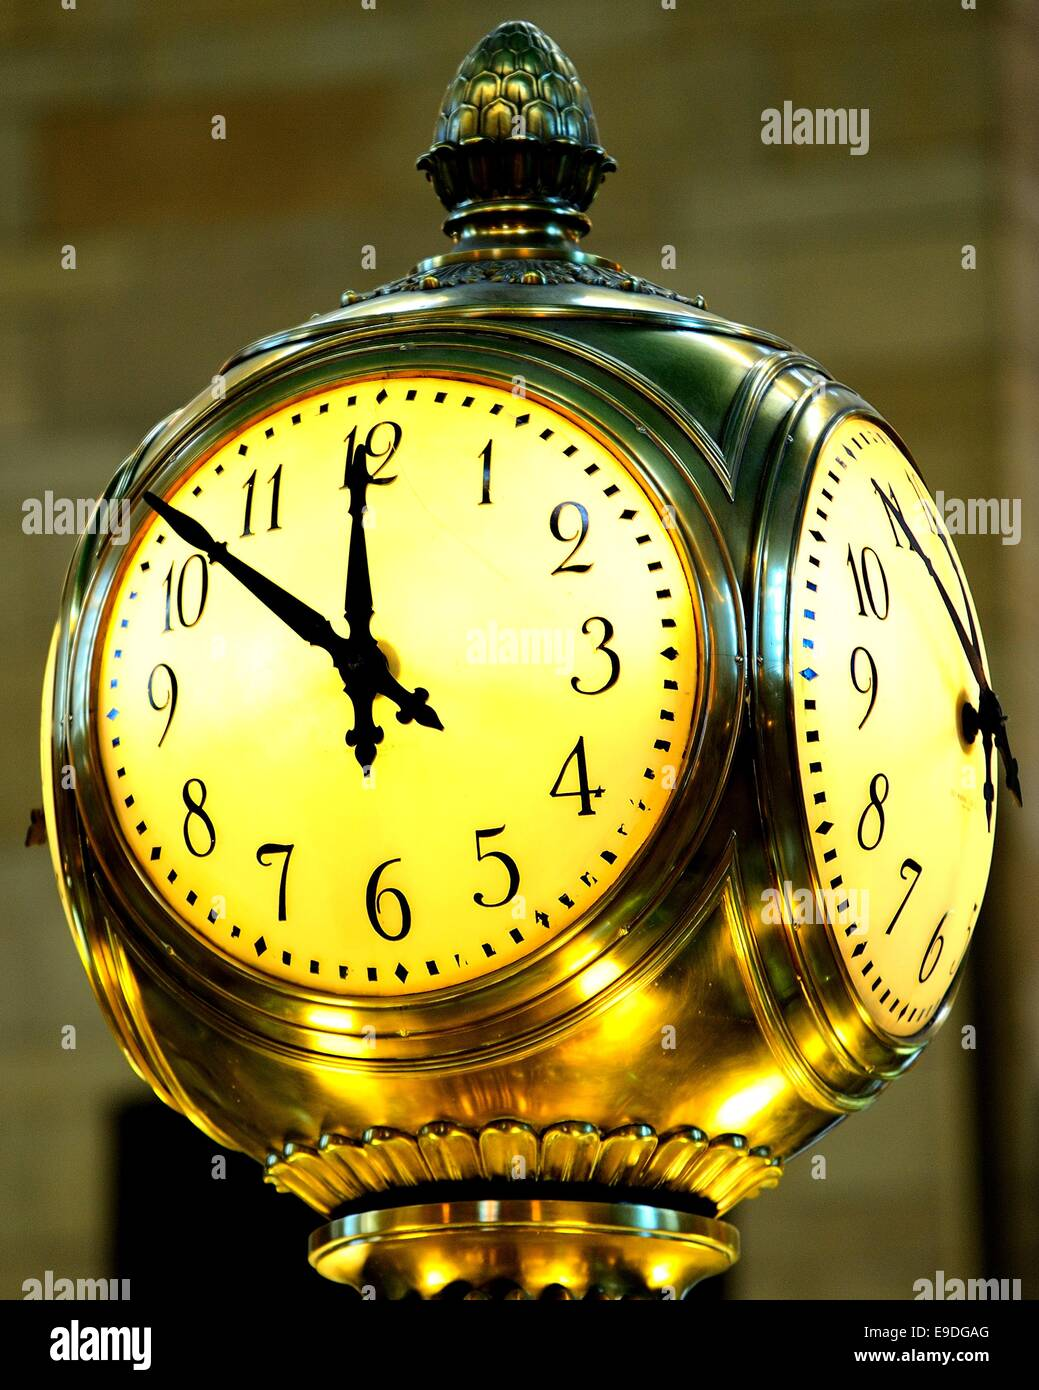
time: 11:51
